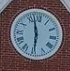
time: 5:57
